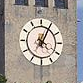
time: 4:04
